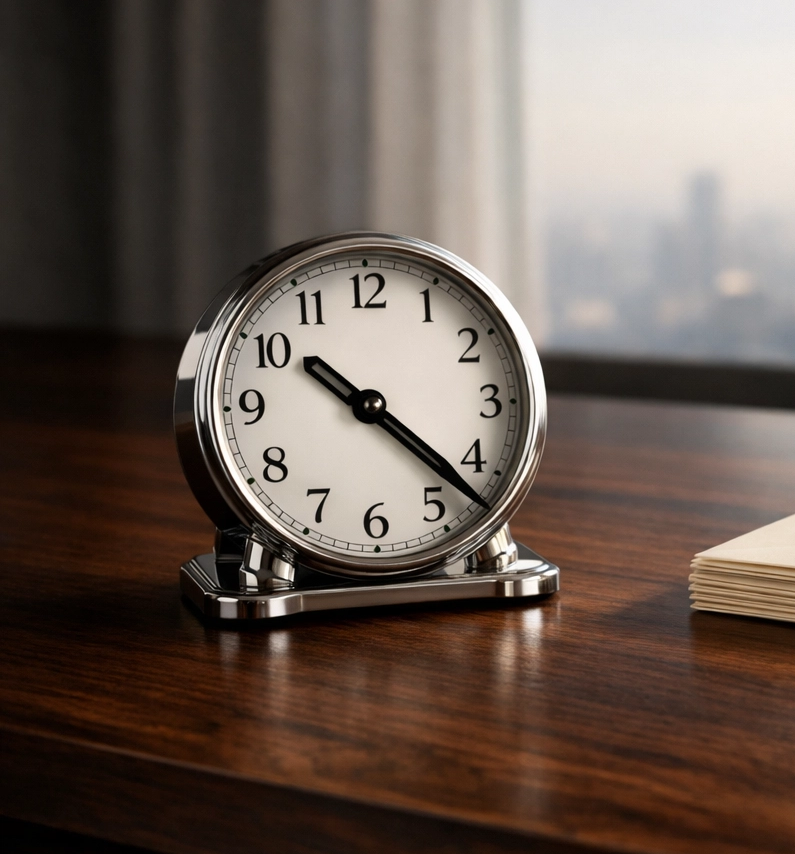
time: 10:22
